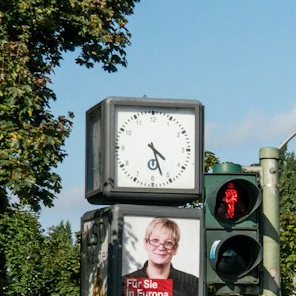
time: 4:26
